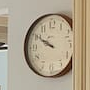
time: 9:50
